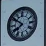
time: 7:50
